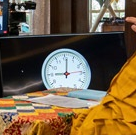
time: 9:01
